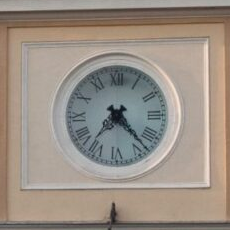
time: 7:23
